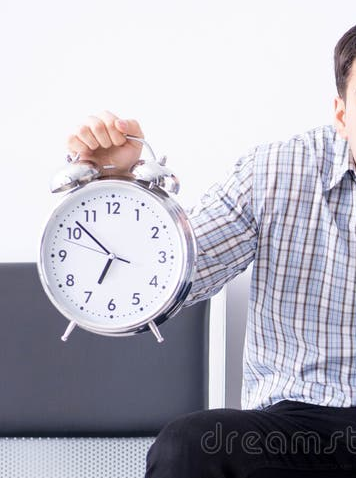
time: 6:52
